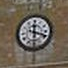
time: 12:18
